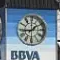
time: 1:43
